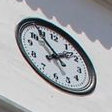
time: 1:54
